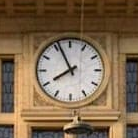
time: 7:55
